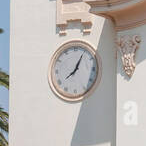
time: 8:04
